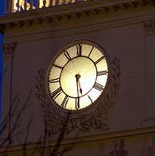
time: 5:29
